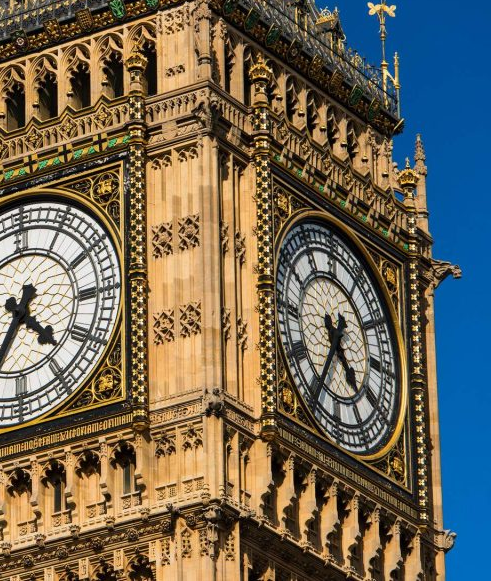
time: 4:35
